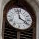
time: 3:58
